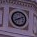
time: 8:11
